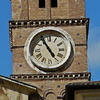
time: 4:54
